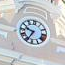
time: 9:34
